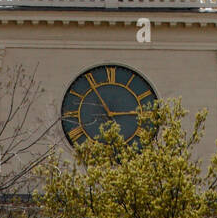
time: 2:54
